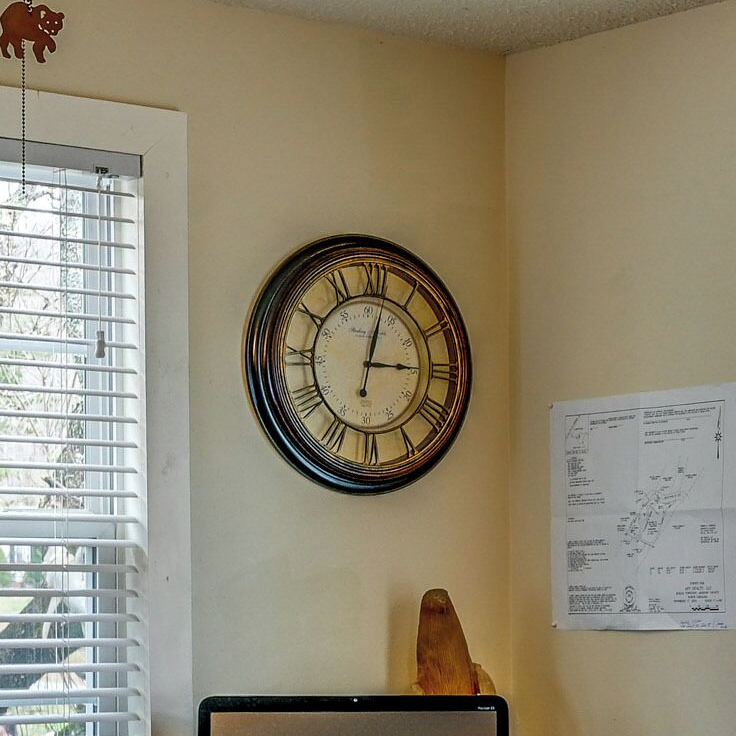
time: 3:01
